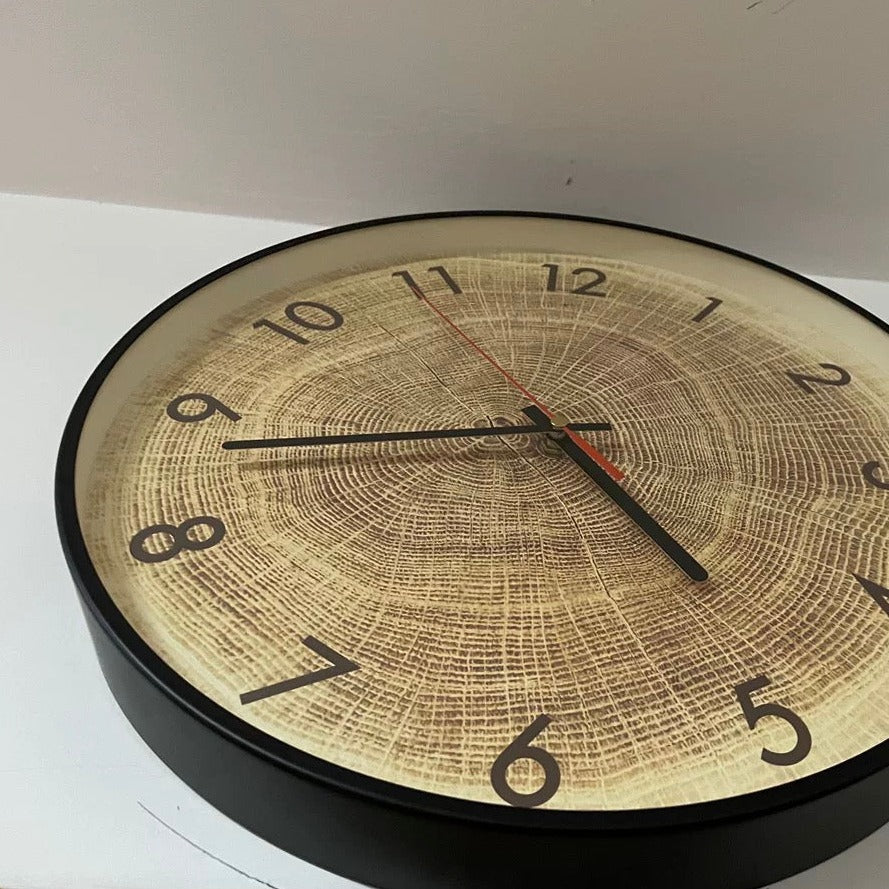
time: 4:43
